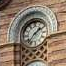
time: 1:36
